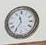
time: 11:35
